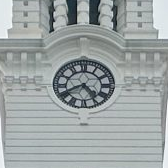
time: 4:40
